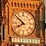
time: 7:51
